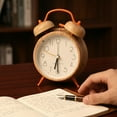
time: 6:29
